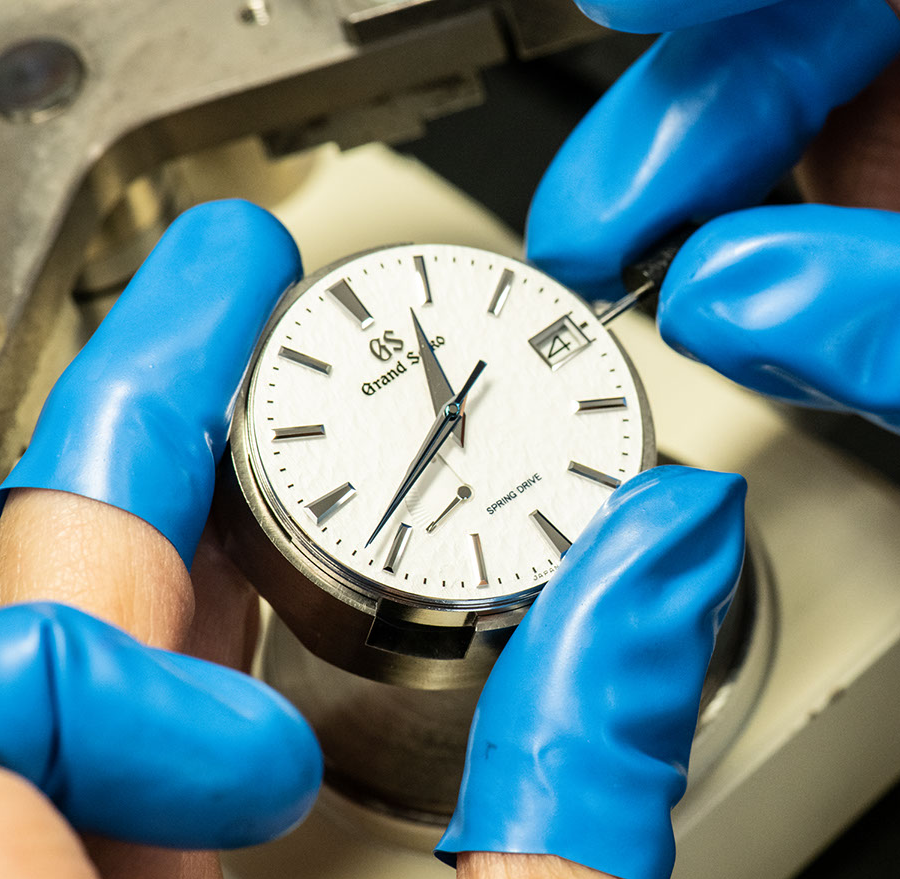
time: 11:36
